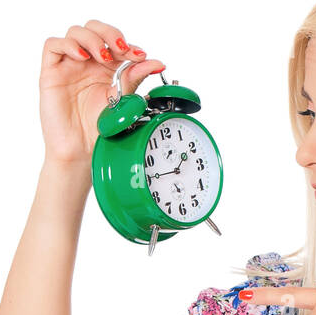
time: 1:43
